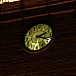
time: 2:18
